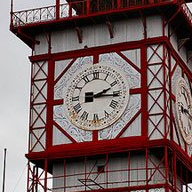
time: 2:15
